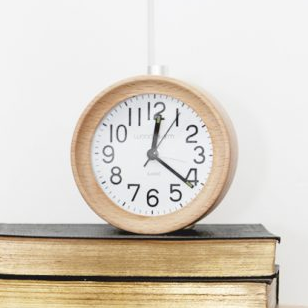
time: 12:21
